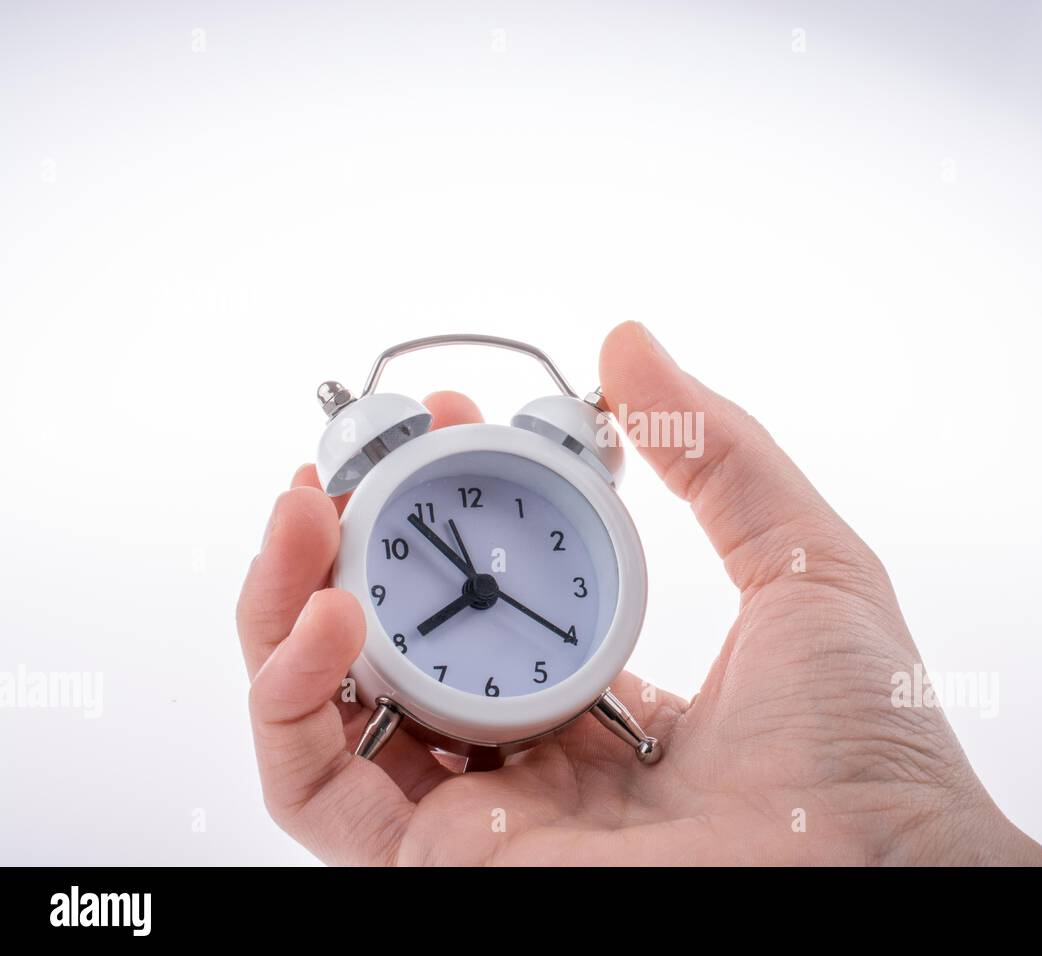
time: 7:53
